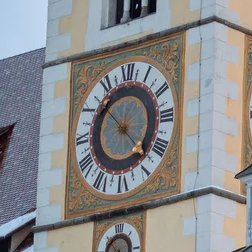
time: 10:22
